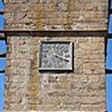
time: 4:19
